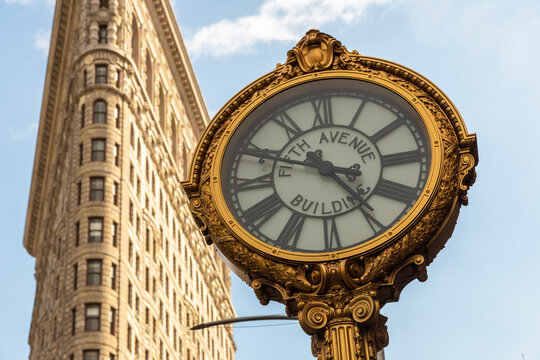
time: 4:48
